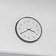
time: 3:40
